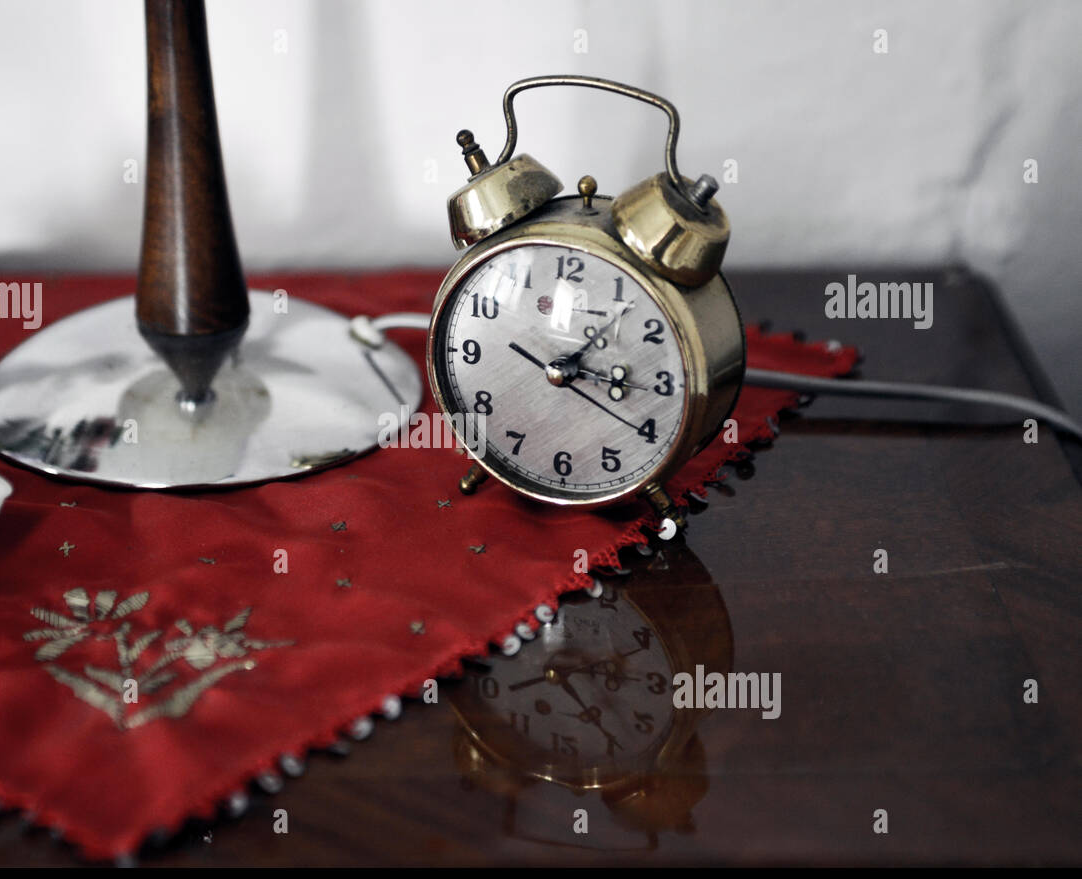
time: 1:16
